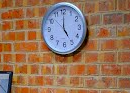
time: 5:00
